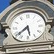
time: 5:38
